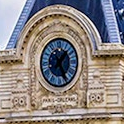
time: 1:24
